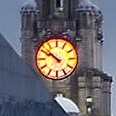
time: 9:51
